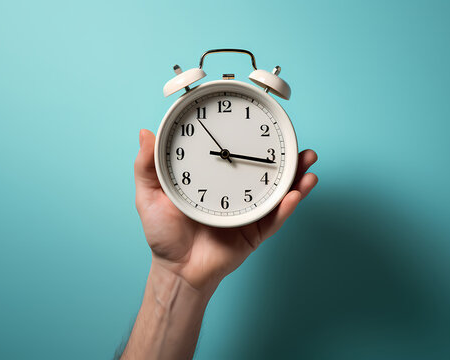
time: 3:16
